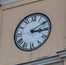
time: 3:09
